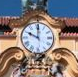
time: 10:00
